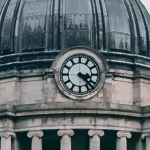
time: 3:22
